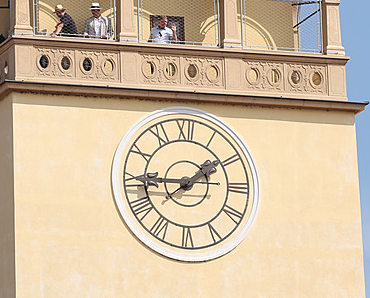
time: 1:45
